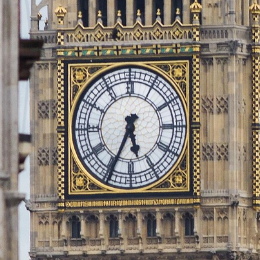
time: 5:34
